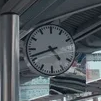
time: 4:42
